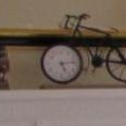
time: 5:13
